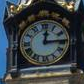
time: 12:14
